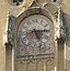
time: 5:14
